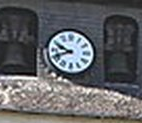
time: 9:41
